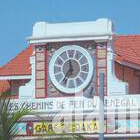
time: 11:35
